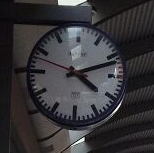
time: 4:11
